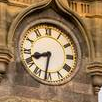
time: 8:31
